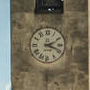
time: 2:18
